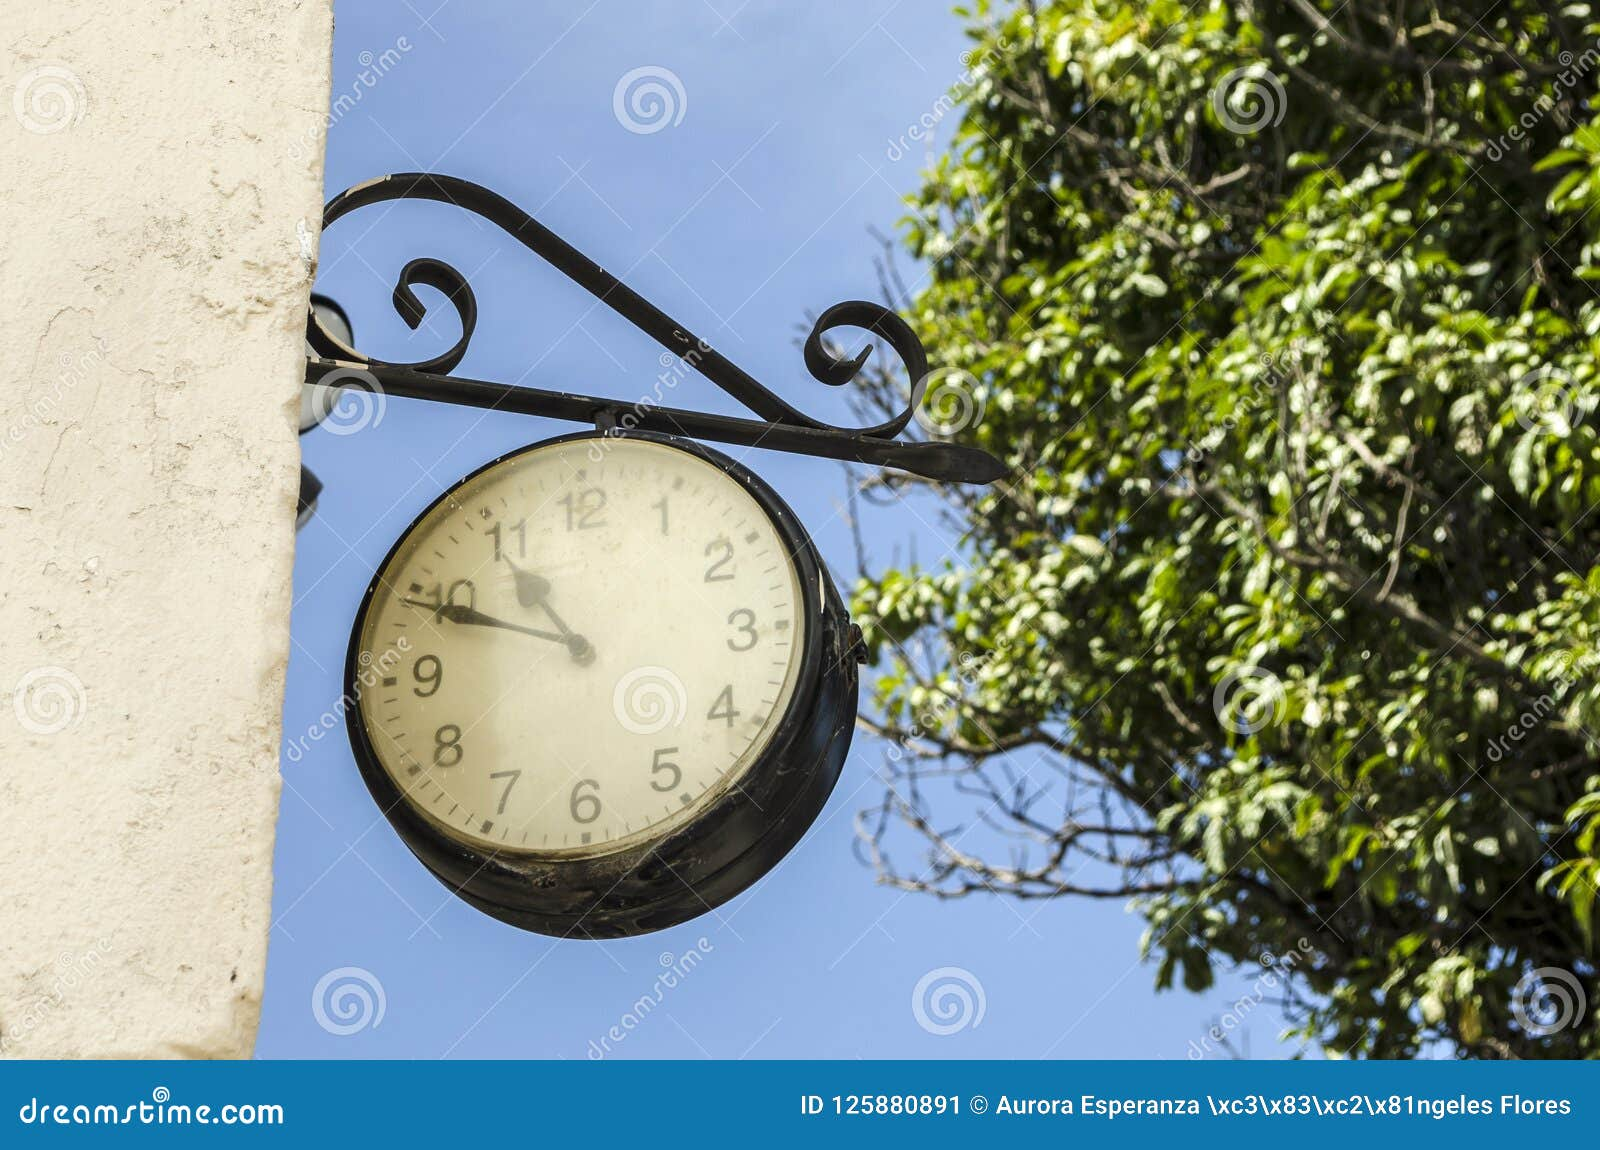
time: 10:48
